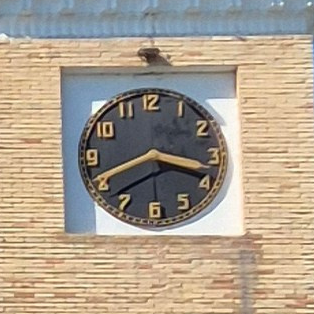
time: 3:40
